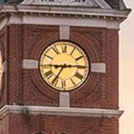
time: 7:14
